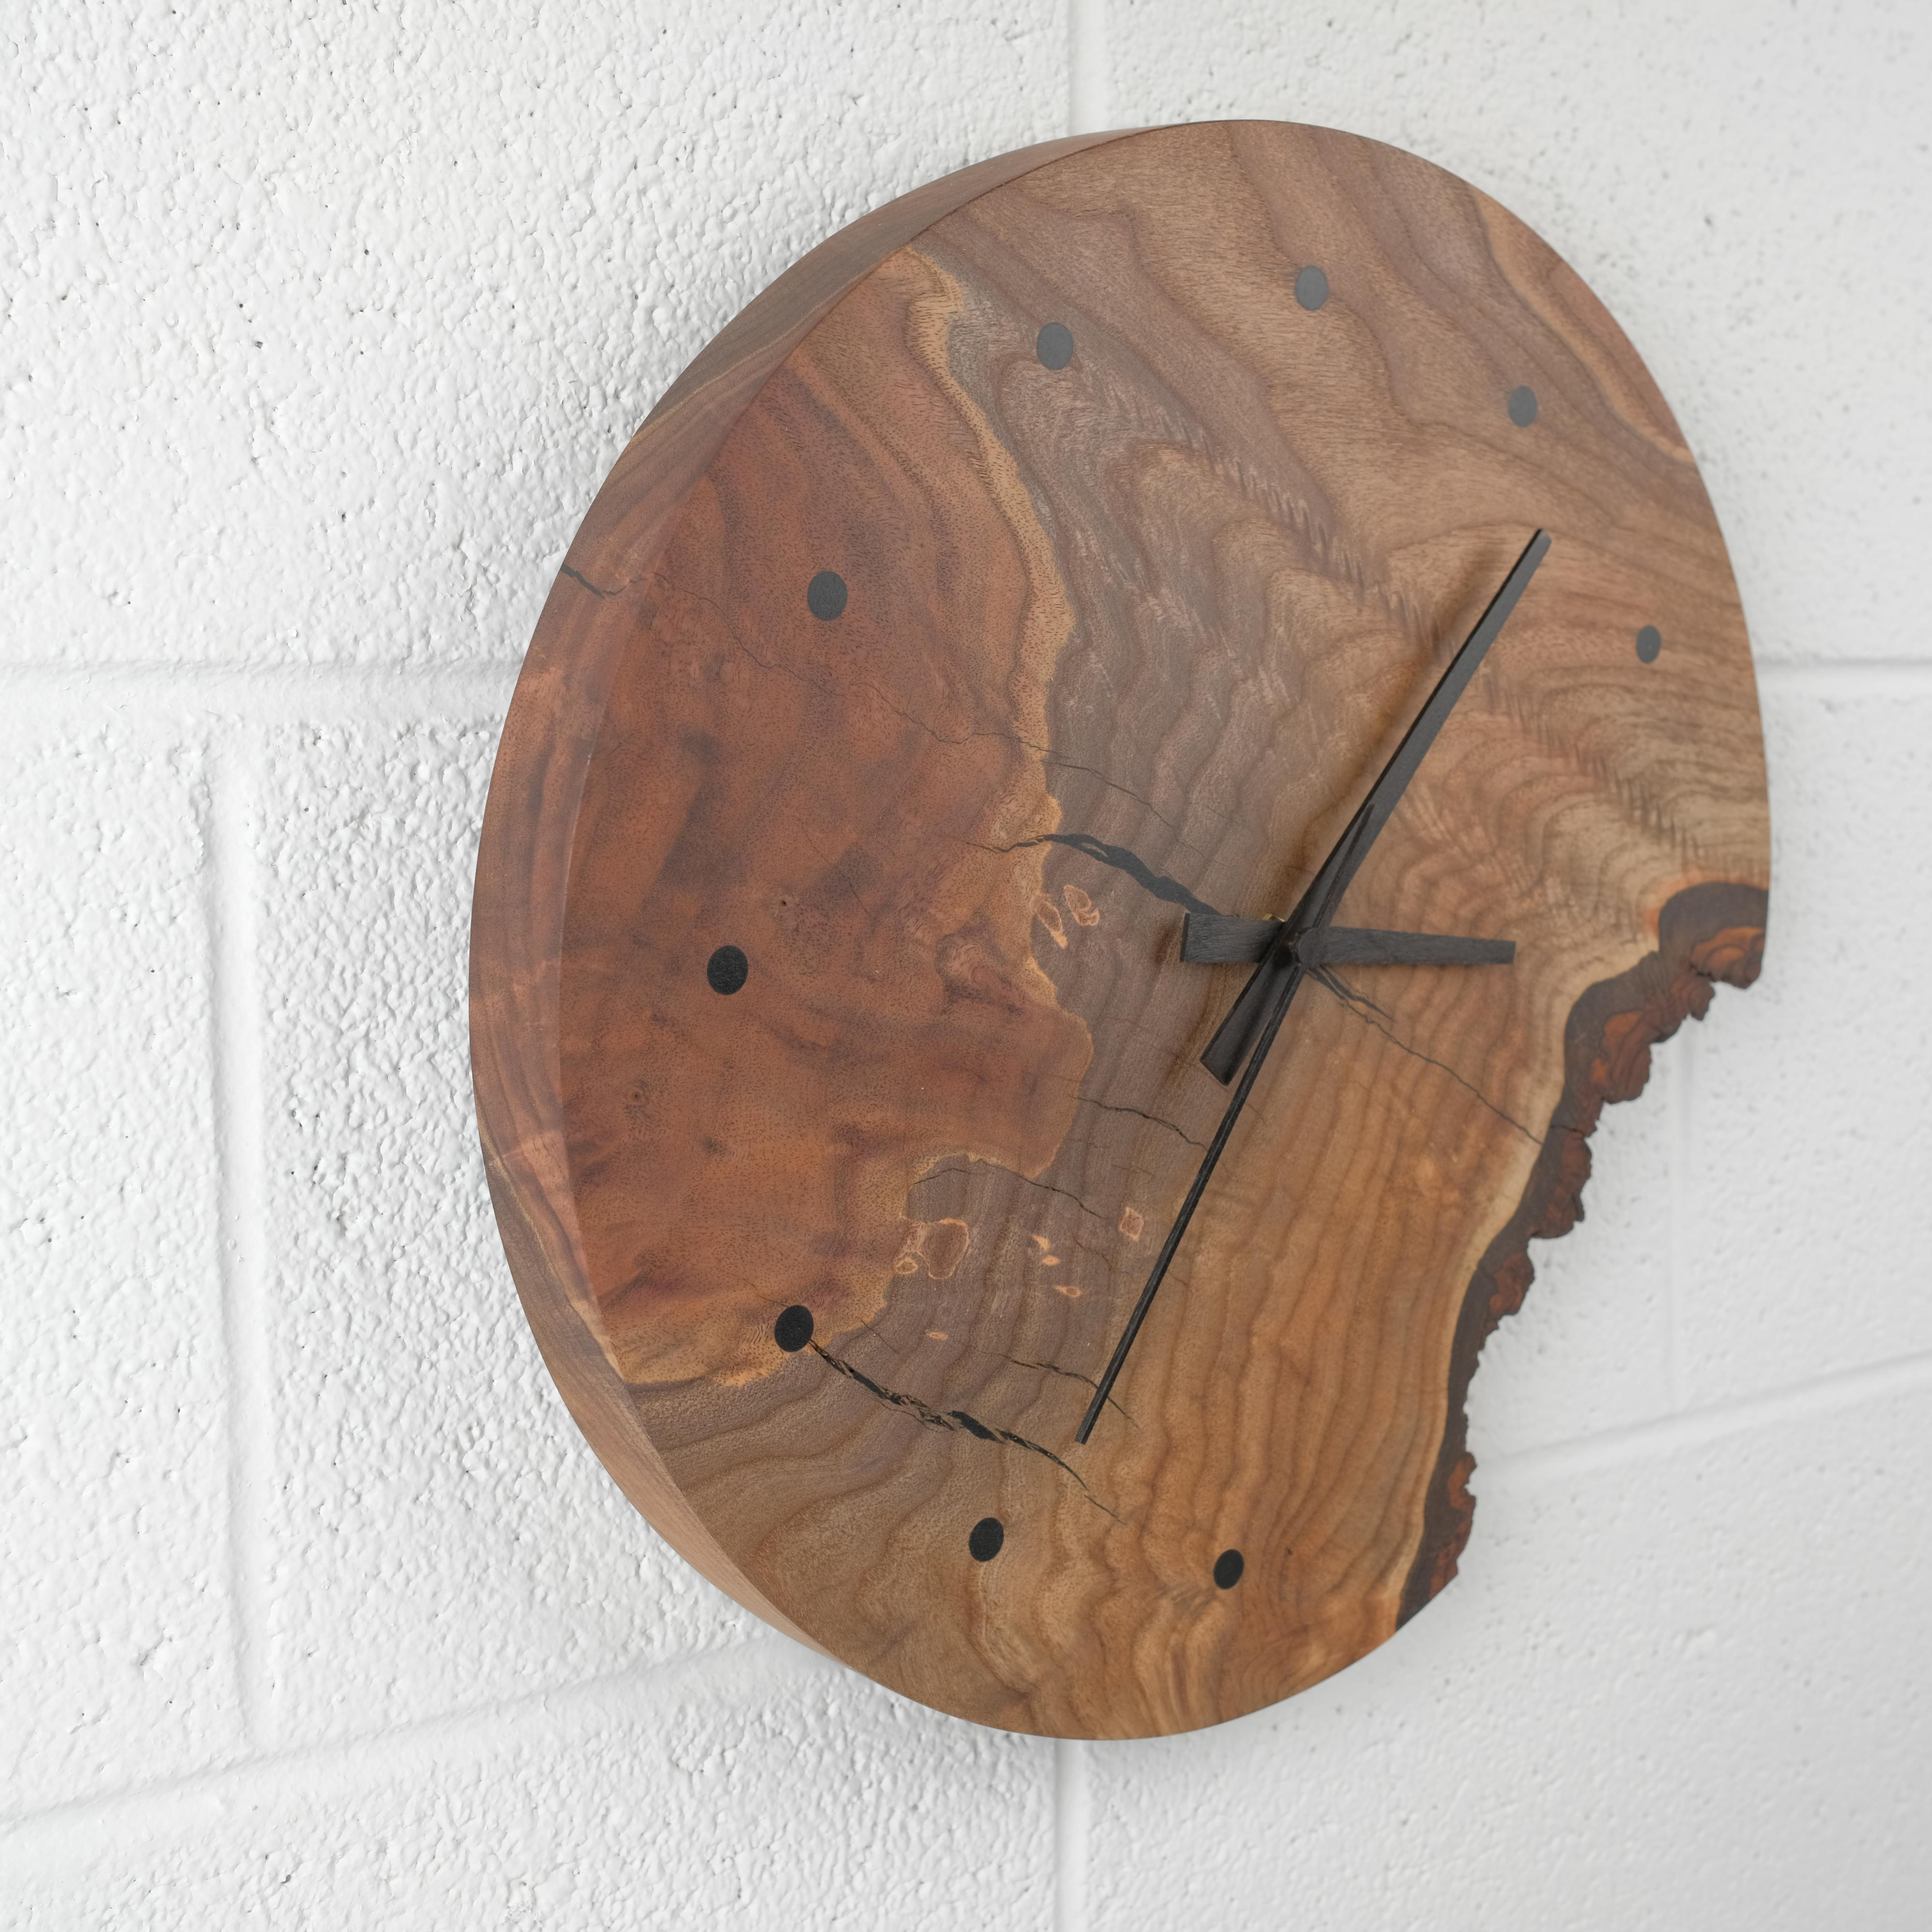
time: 3:06
